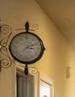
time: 3:09
